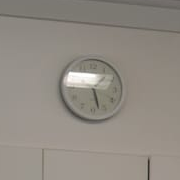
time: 5:27
